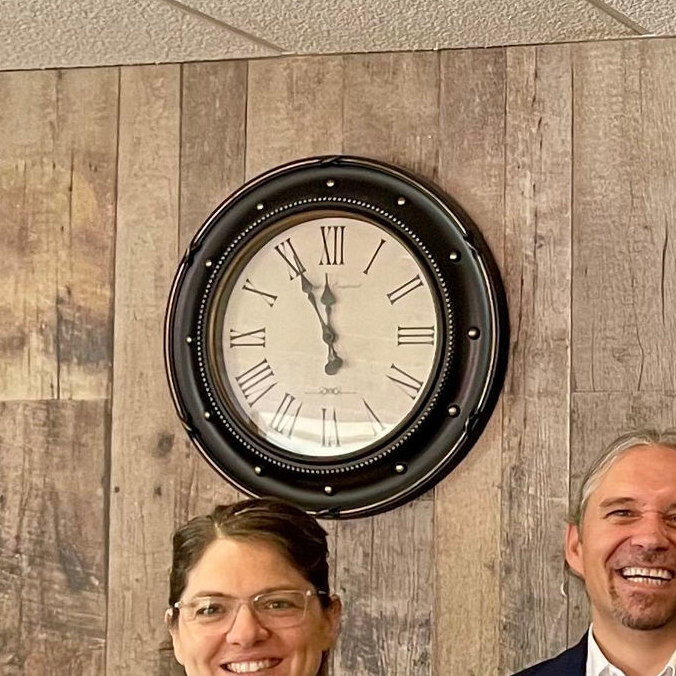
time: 11:55
